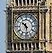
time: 10:28
